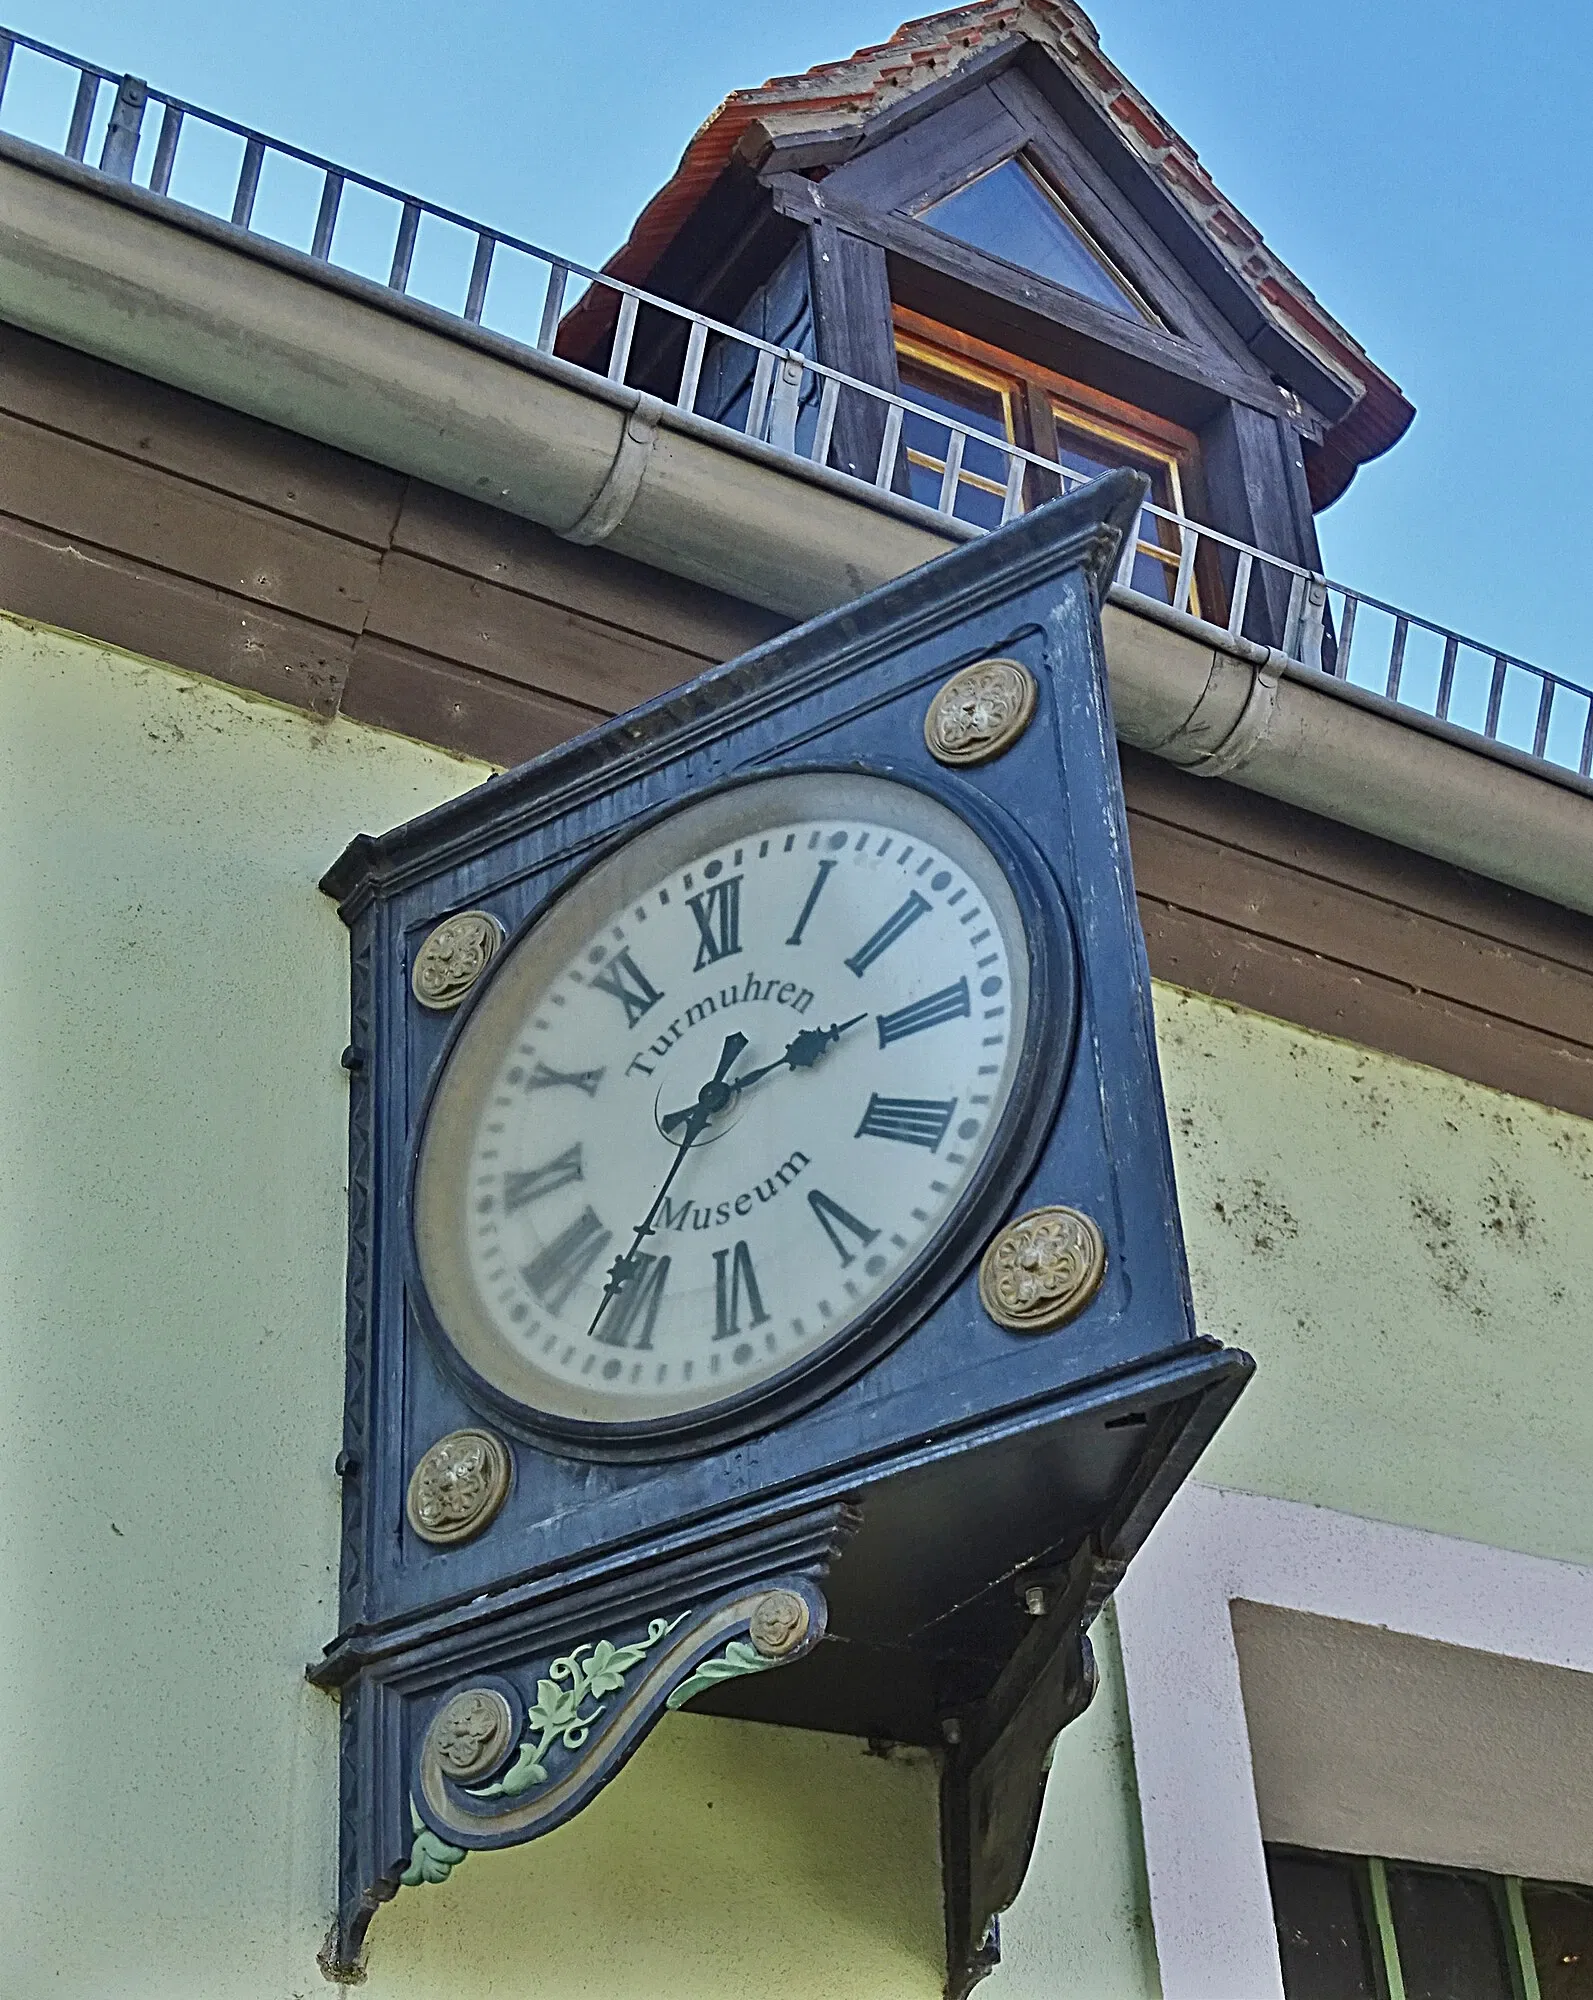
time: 7:15
